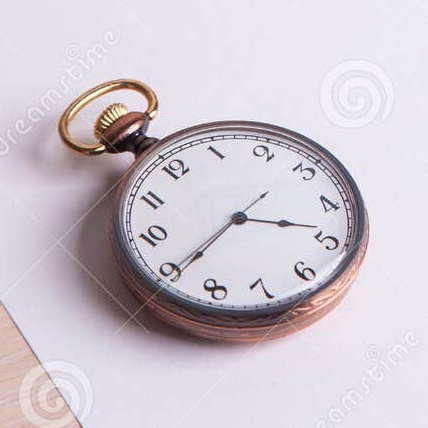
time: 3:39
